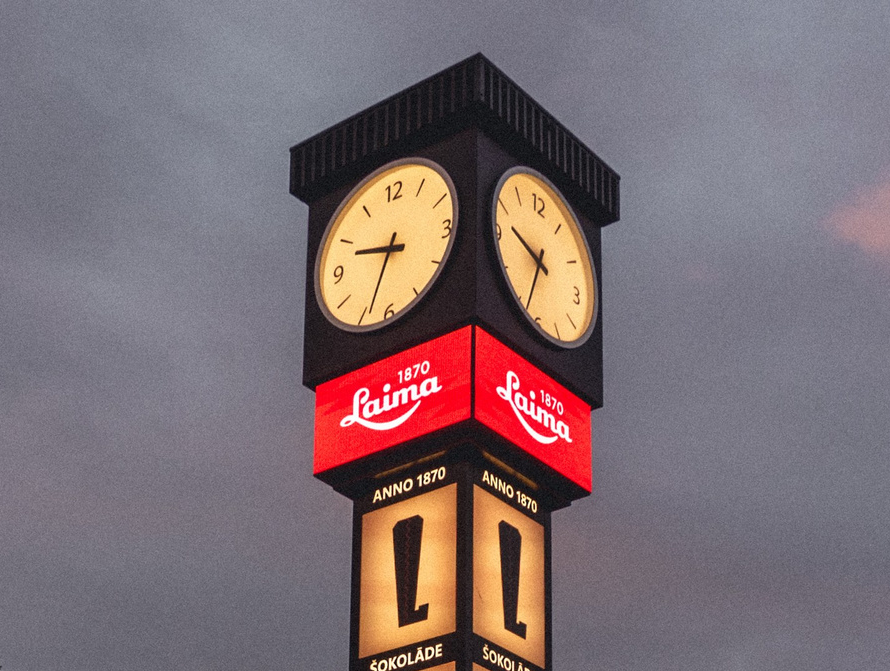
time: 9:34
